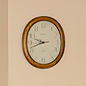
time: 9:42
